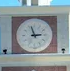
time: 2:57
